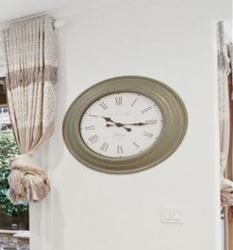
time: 10:15
